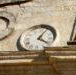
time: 4:04
